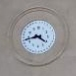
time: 3:42
